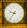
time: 9:36
